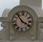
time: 3:53
